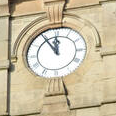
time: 11:54
